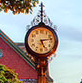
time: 5:12
